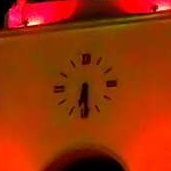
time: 6:29
